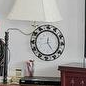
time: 12:23
